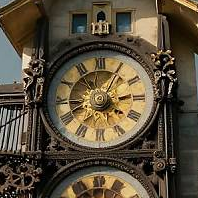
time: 4:04
